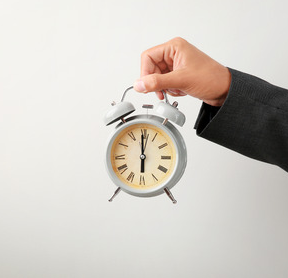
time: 5:59
